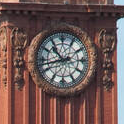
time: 10:42
